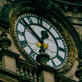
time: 12:52
